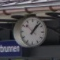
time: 1:07
